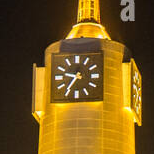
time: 9:35
